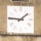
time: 1:46
